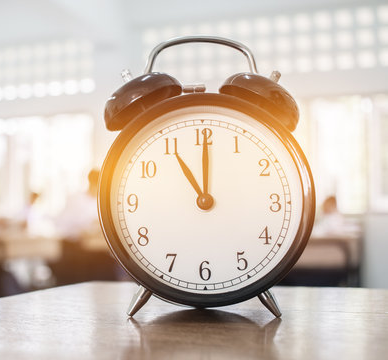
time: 11:00
